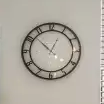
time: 12:52
